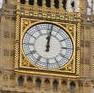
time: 12:01
